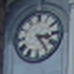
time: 3:24
